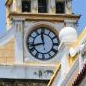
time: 11:42
